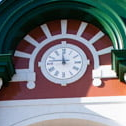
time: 11:46
